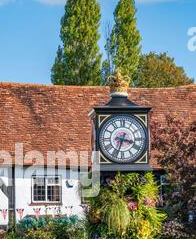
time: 3:33
